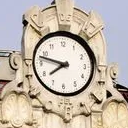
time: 7:47
